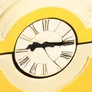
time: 9:15
